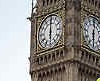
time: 6:00
